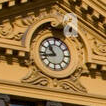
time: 10:42
